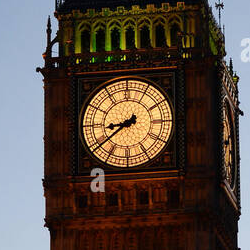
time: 8:38
